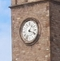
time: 1:18
